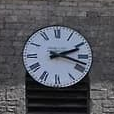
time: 2:18
